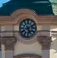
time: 5:11
